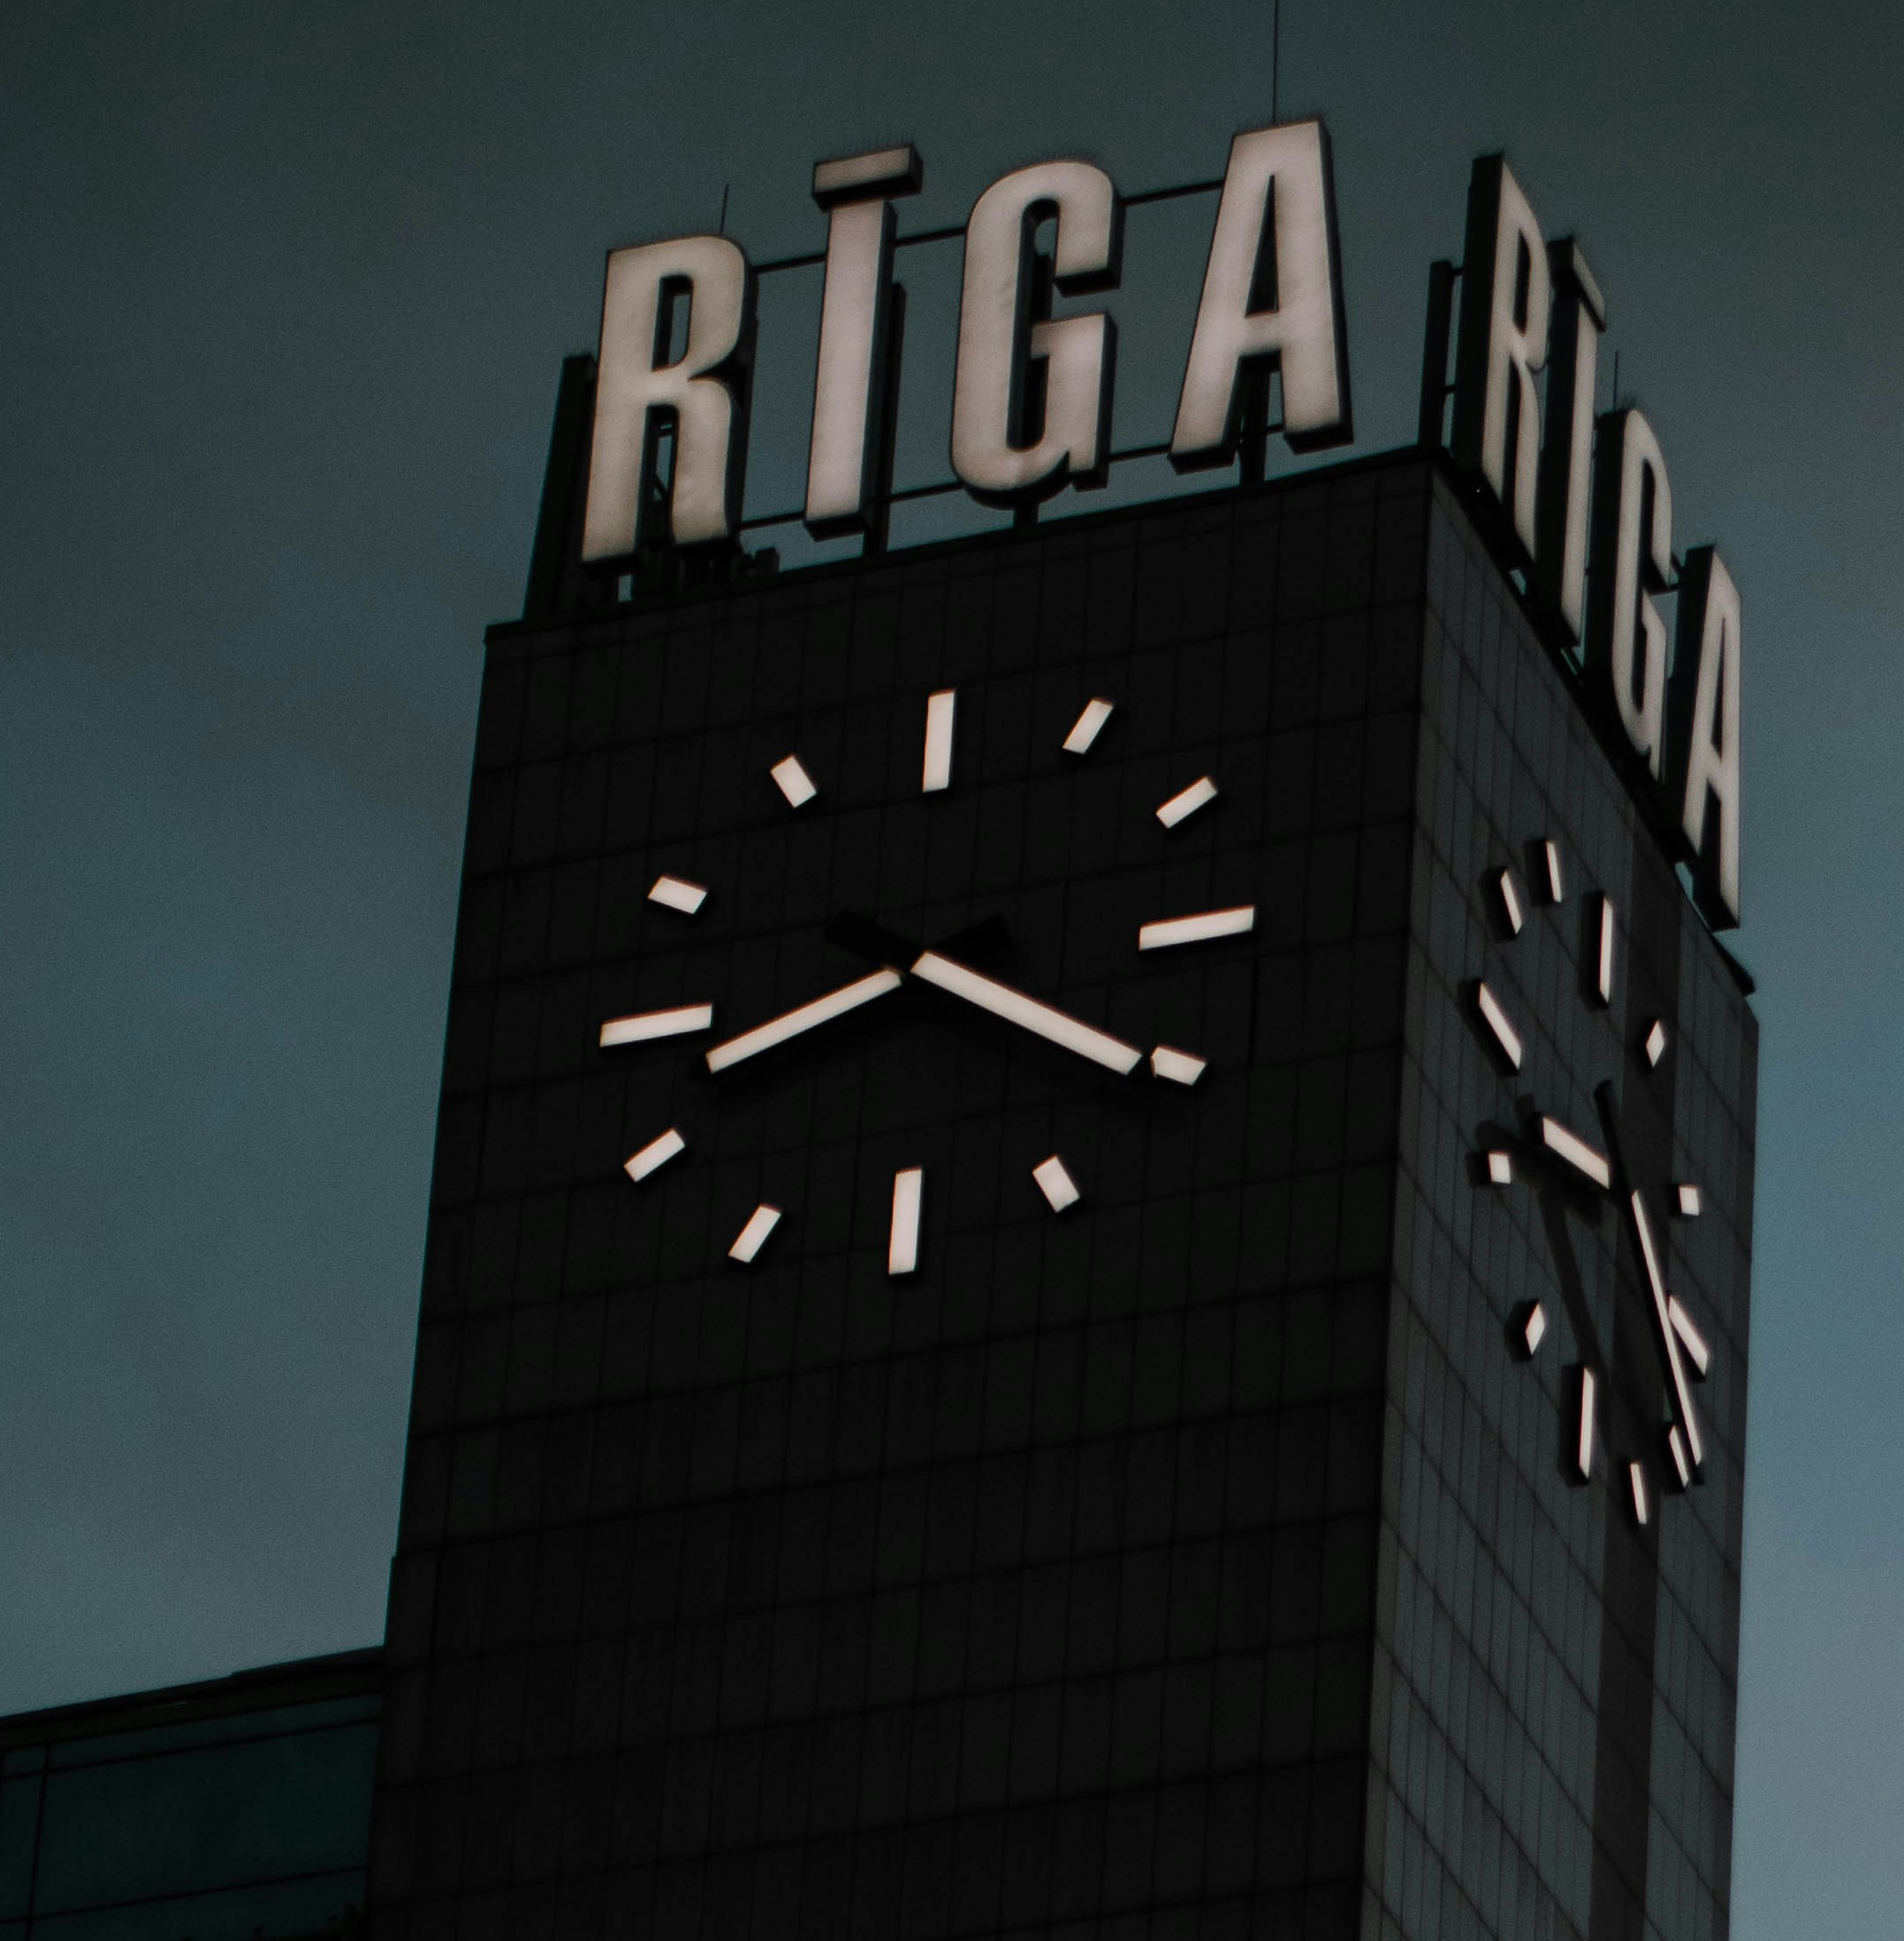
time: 8:20
